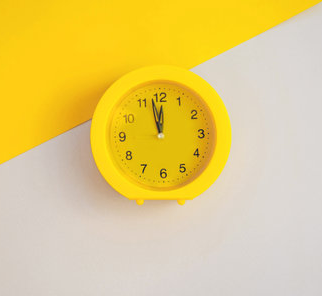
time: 11:57
